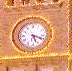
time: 5:18
